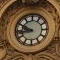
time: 8:49
